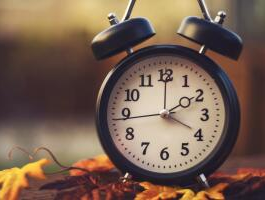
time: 2:00
